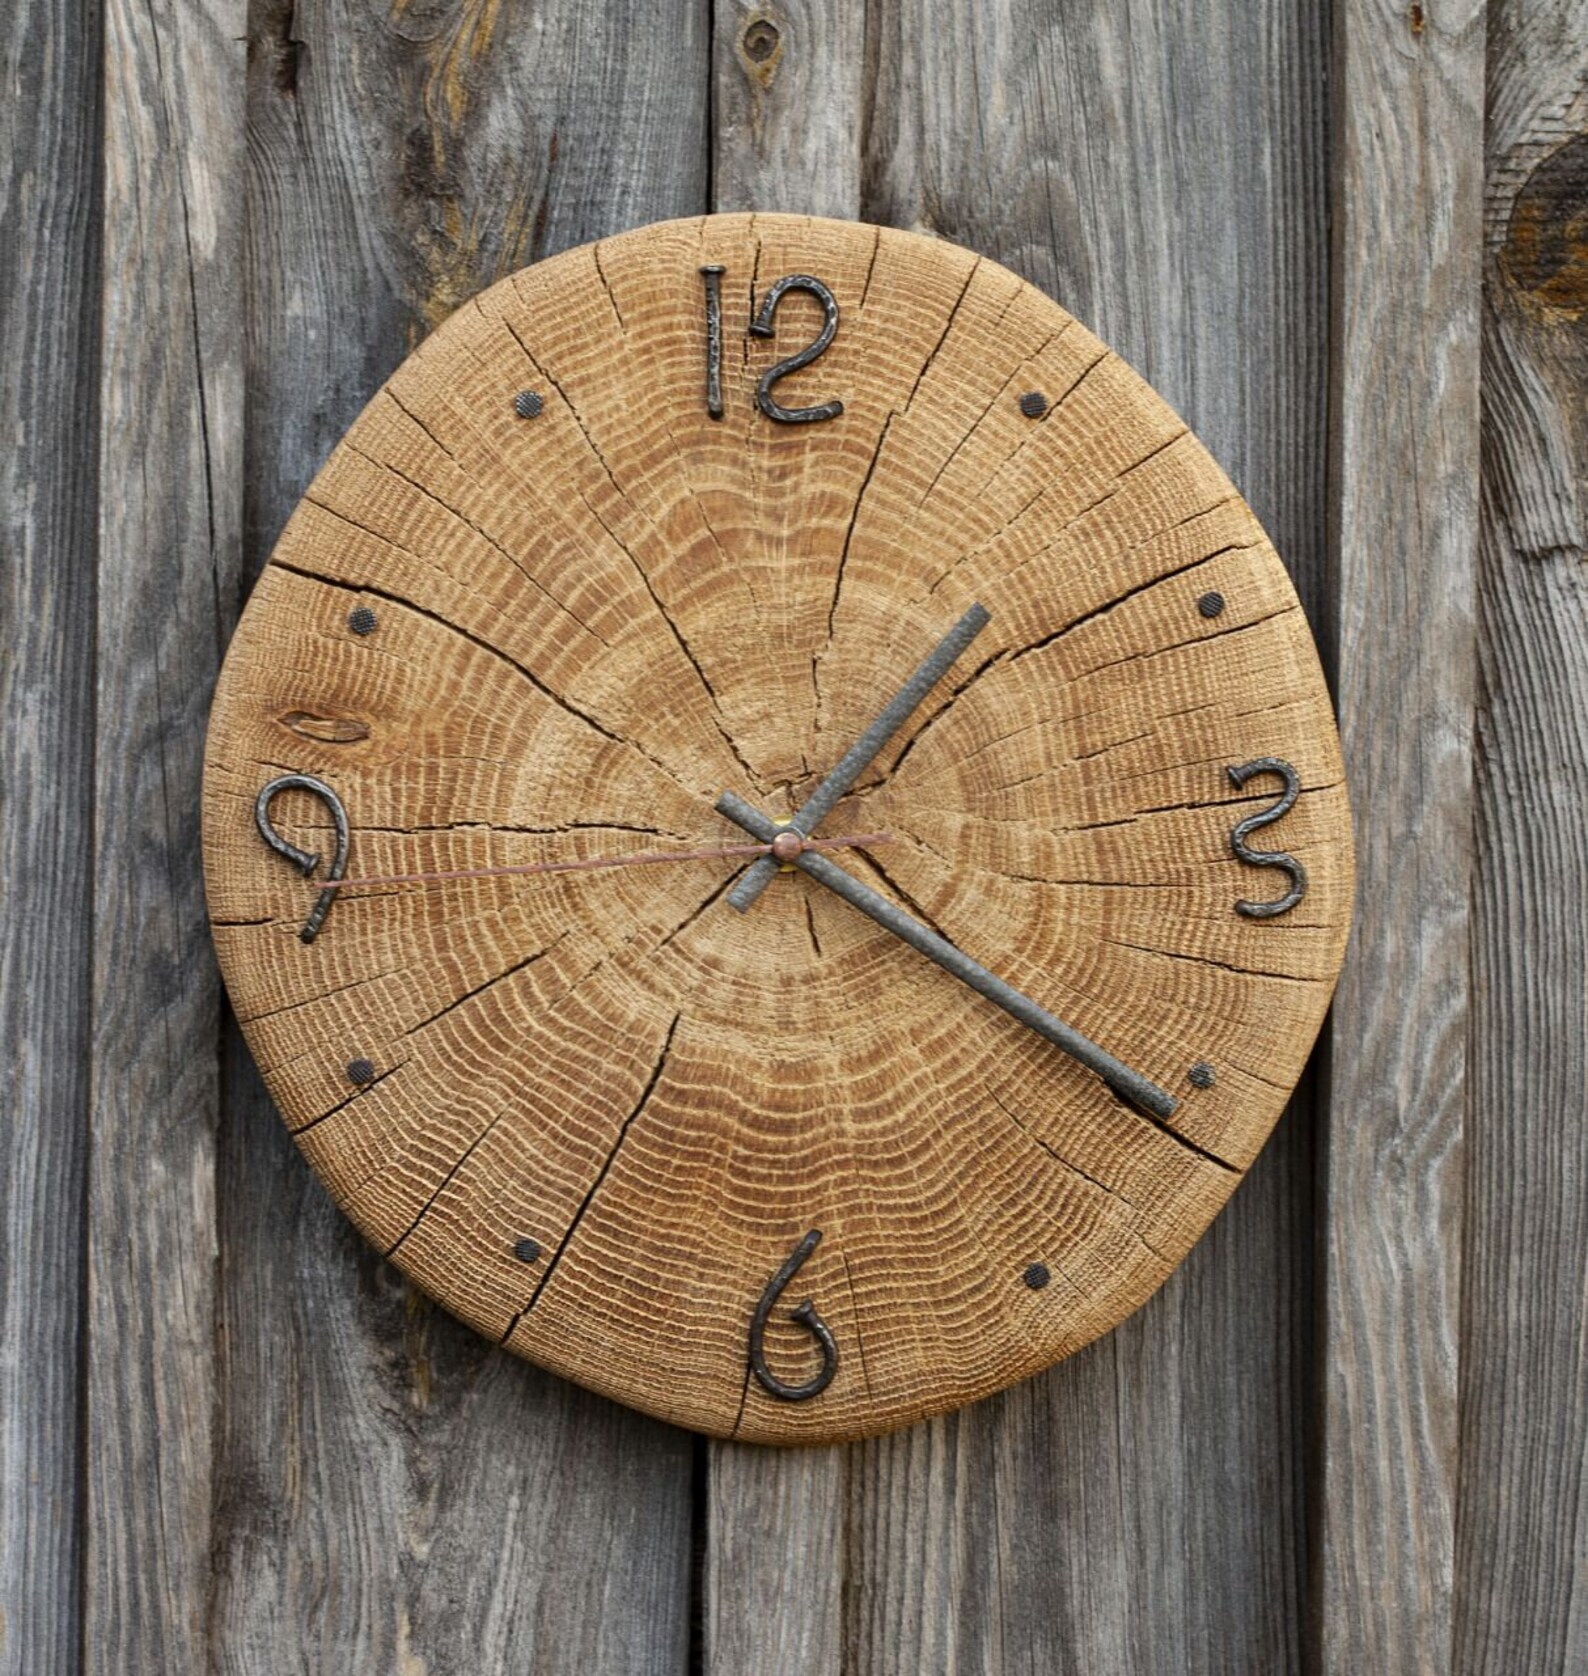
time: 1:20
